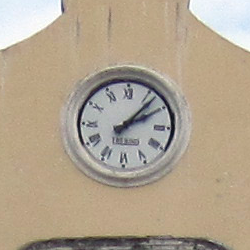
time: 2:07
